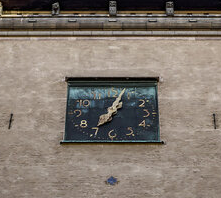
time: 7:03
